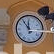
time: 11:53
